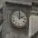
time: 2:00
